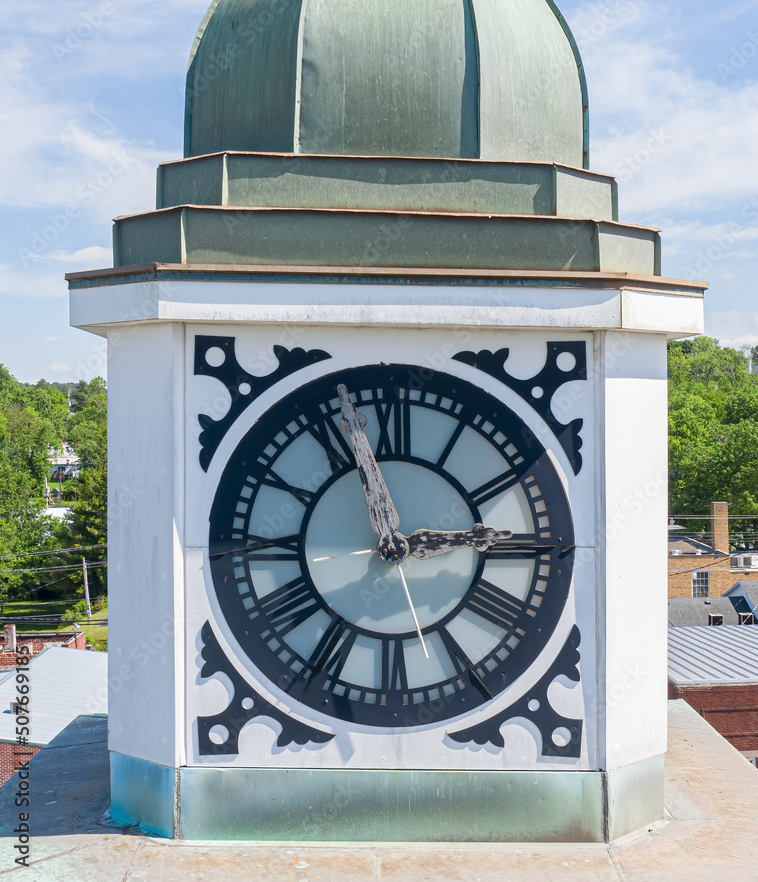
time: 2:56
